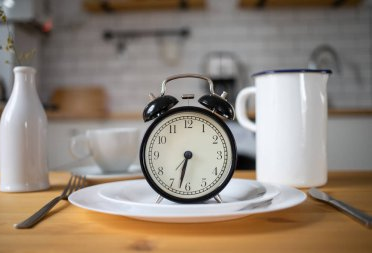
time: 6:32
